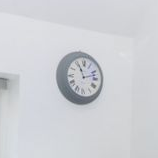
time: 11:12
